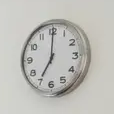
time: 7:00
